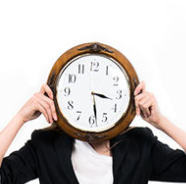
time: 3:28
